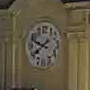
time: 9:38
